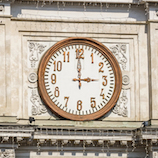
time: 2:59
